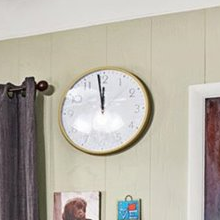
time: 11:58
